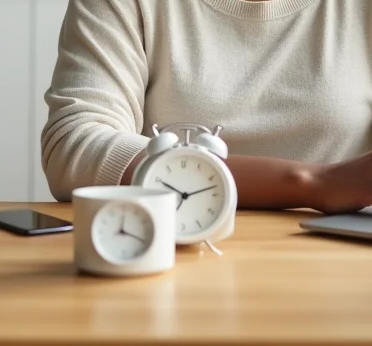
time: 10:12
